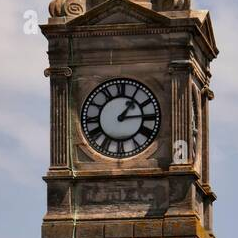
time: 1:14
